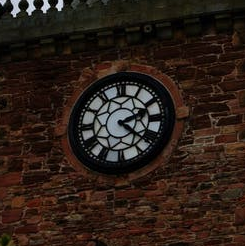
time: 2:21
